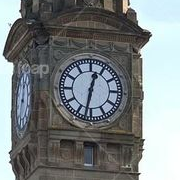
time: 12:32
